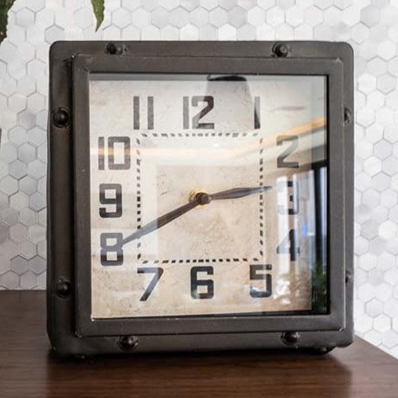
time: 2:40
